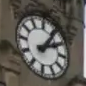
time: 2:06
